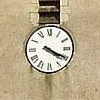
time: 4:19
